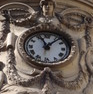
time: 11:07
